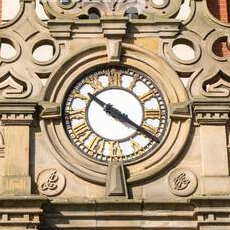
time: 10:20
